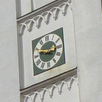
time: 2:48
